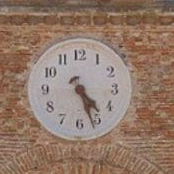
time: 4:26
